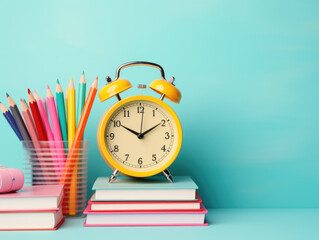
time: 1:50
